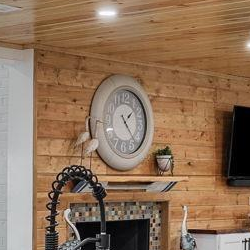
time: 1:23
